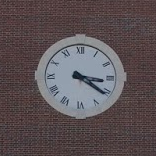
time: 3:21
